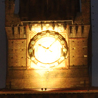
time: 10:07
